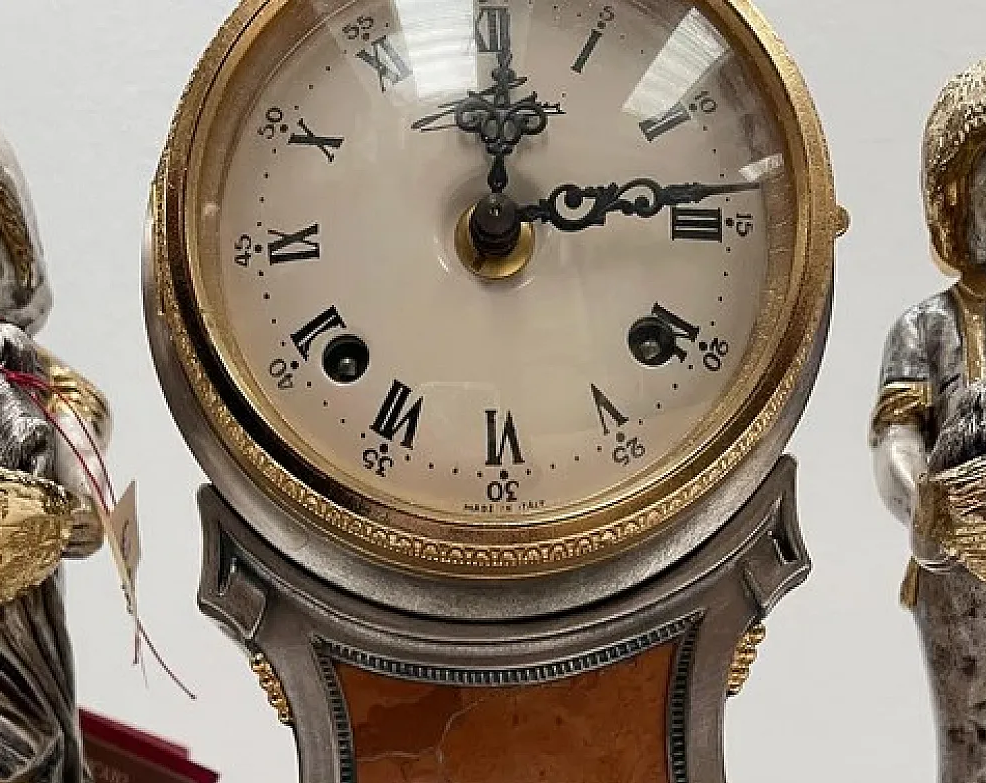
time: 12:13
